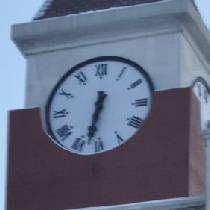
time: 6:32
